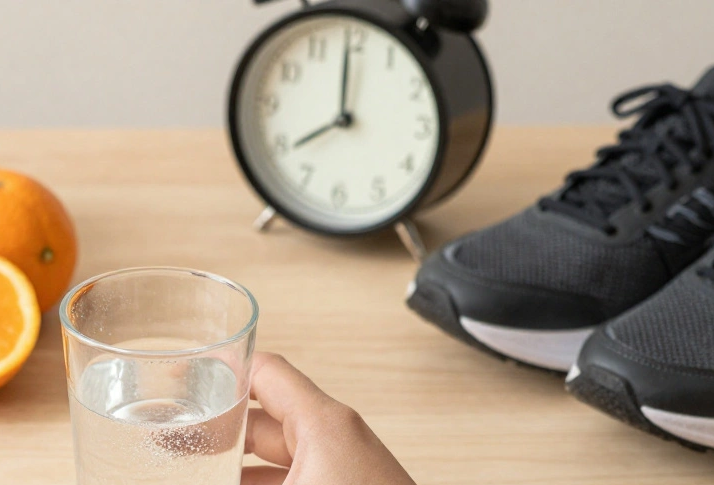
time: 7:59
